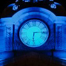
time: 6:14
